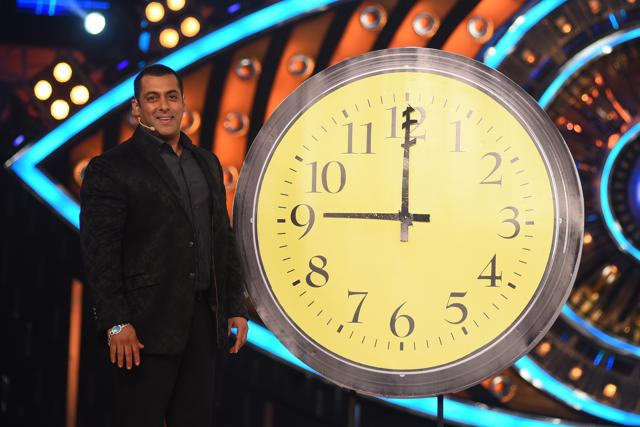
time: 9:00
